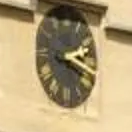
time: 2:18
